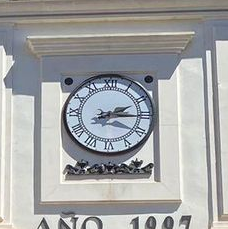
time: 2:15
